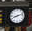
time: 8:12
